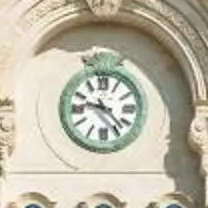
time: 9:22
